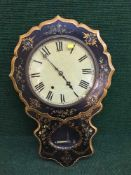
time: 4:53
